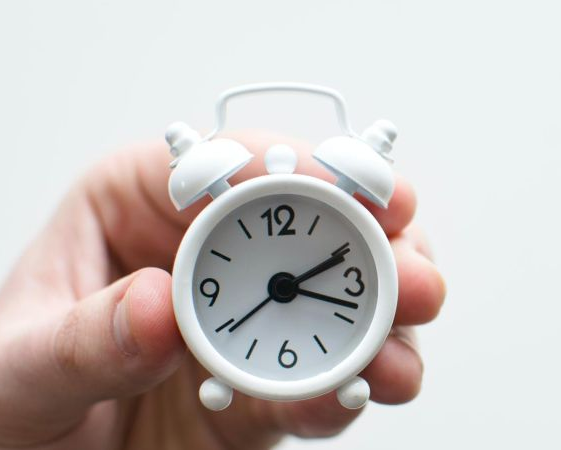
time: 2:18
